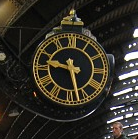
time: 9:27
